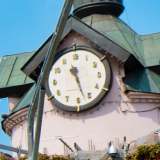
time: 11:27
